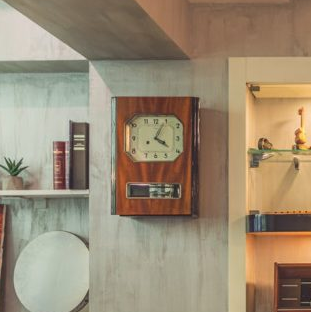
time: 4:04
